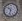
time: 10:32
